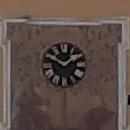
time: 1:50
